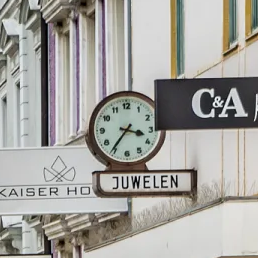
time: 3:36
